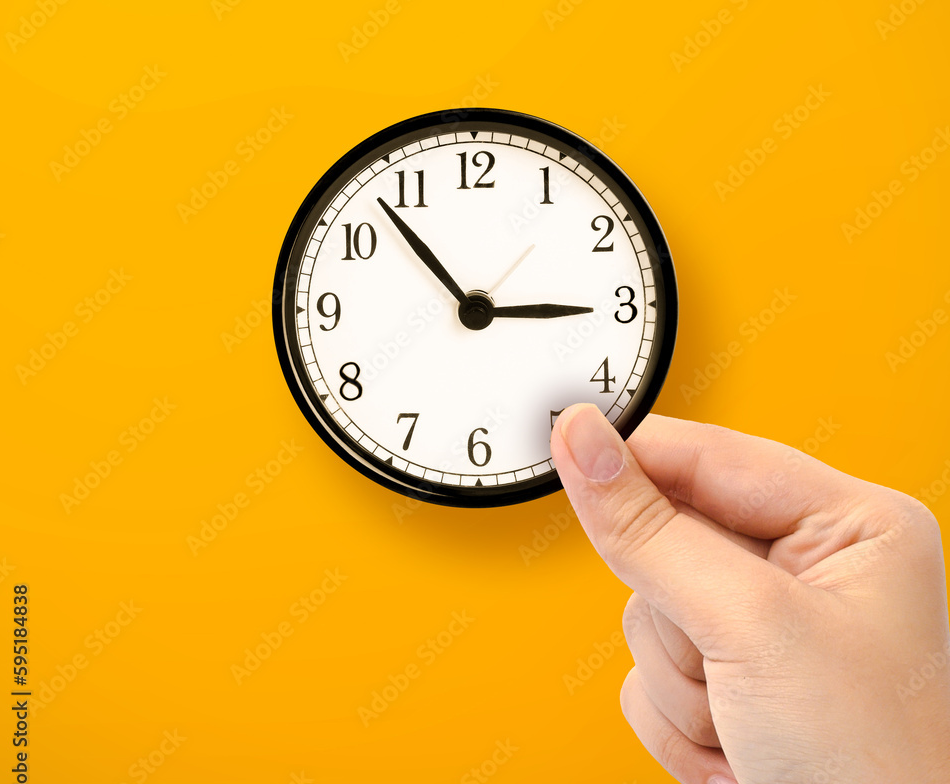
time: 2:53
